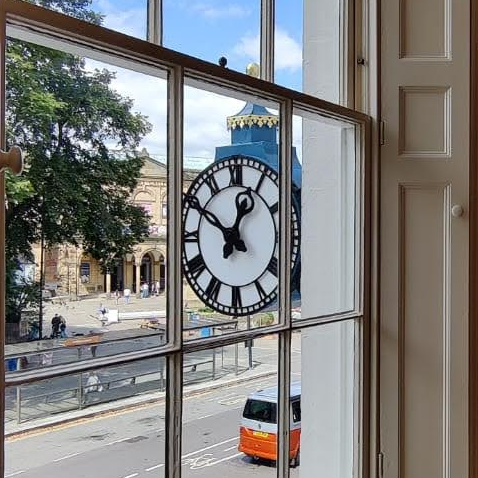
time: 12:50
